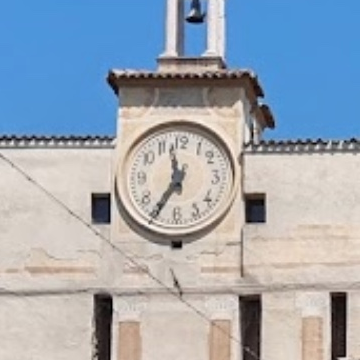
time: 11:35
